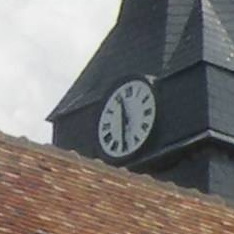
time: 11:29
